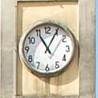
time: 11:04
